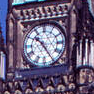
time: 10:24
